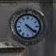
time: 4:21
